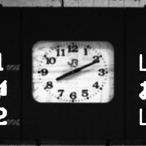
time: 8:10
